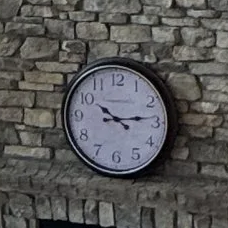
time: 10:13
